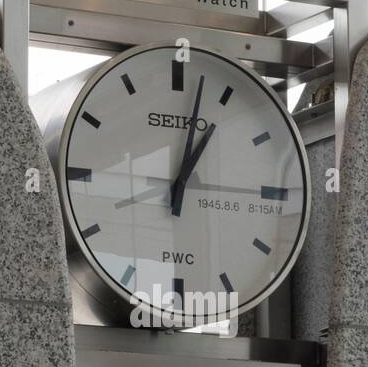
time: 1:02
